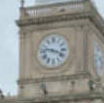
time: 3:47
